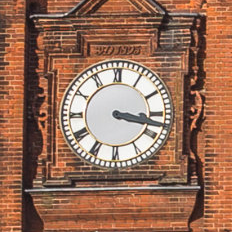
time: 3:17
